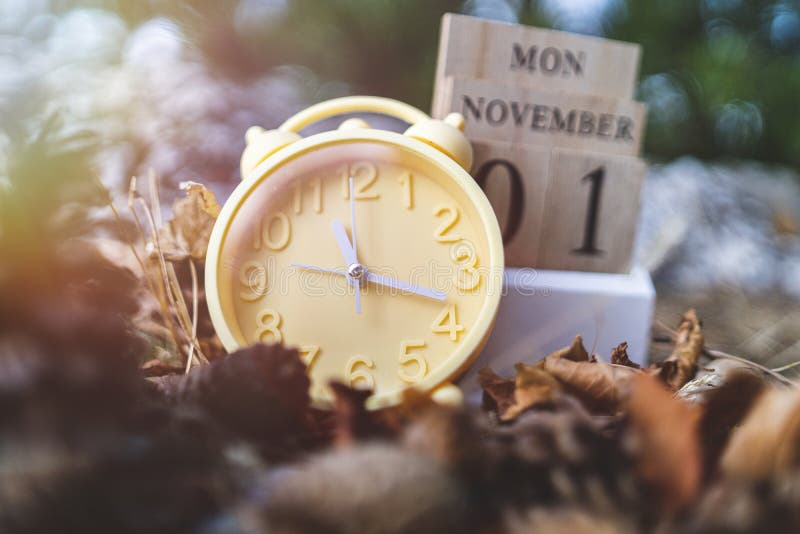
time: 11:18
